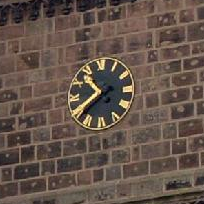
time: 10:39
